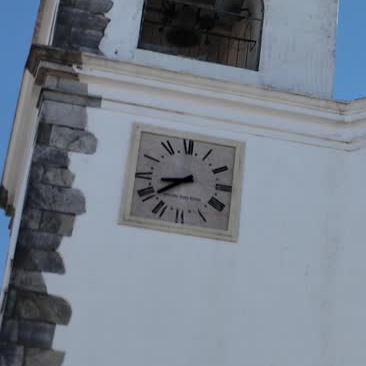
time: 8:38
